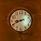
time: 8:40
